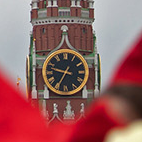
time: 9:34
